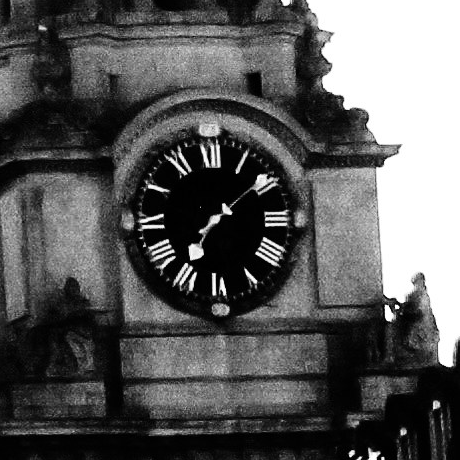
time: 1:36
